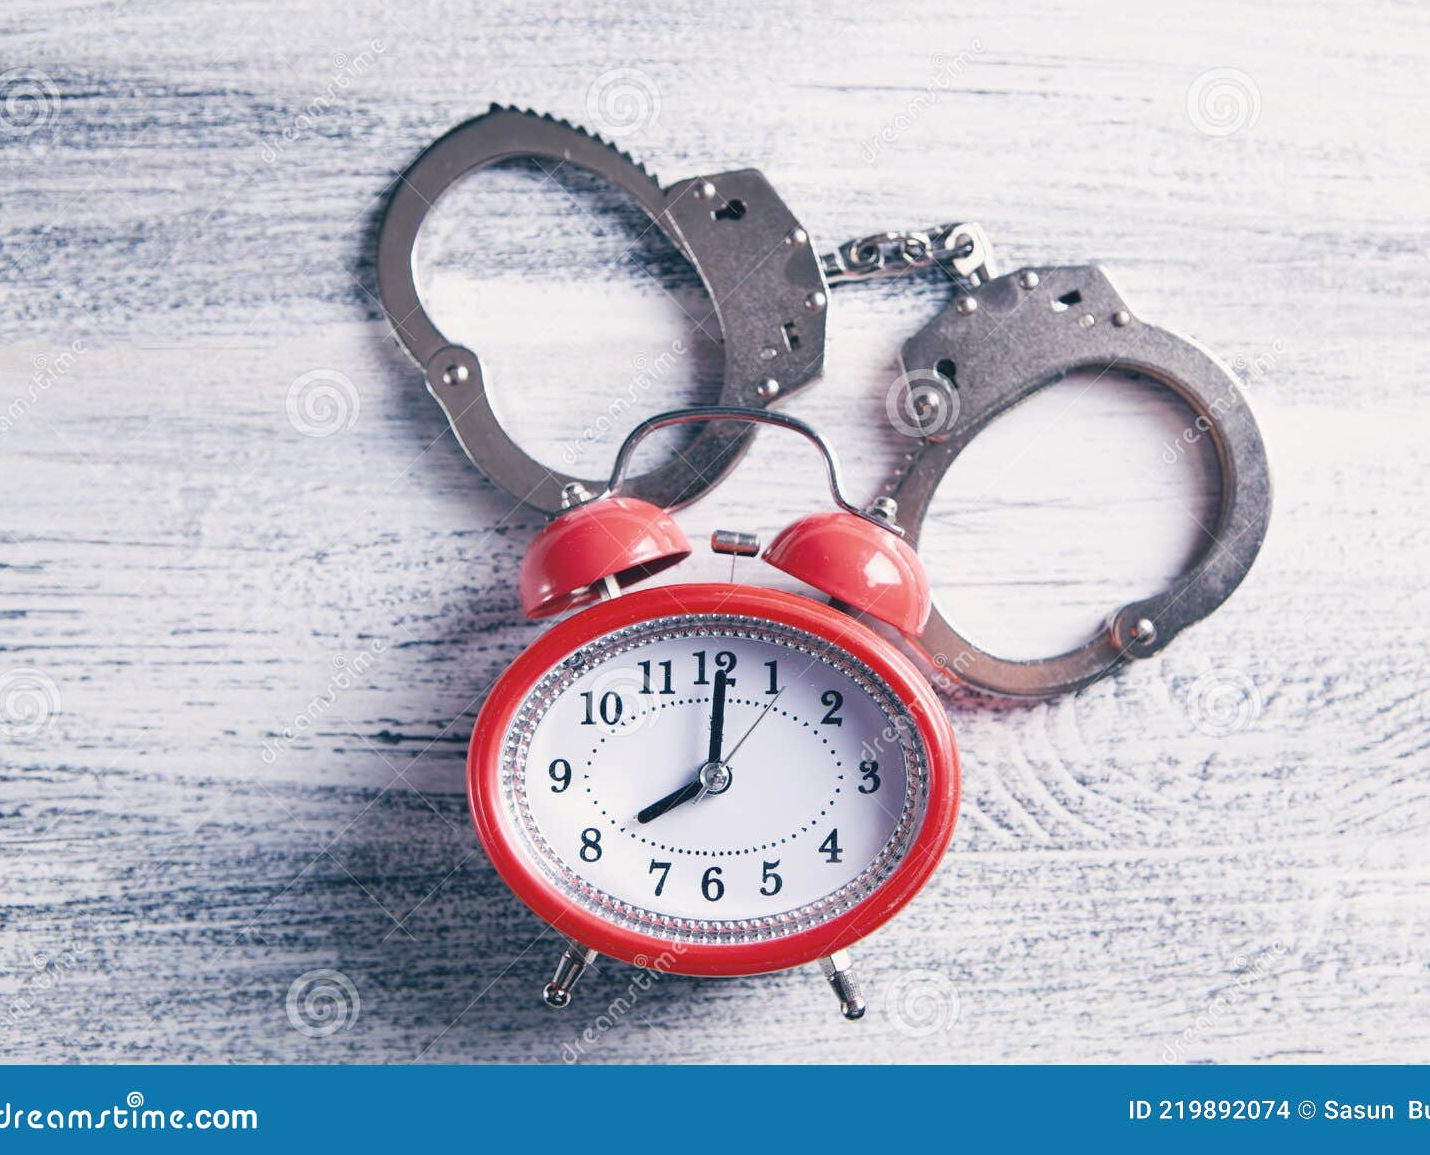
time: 8:01
